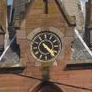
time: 4:22
